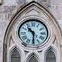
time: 10:30
